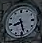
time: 8:27
